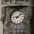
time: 9:07
